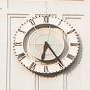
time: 6:24
